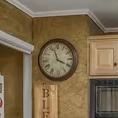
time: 3:57
